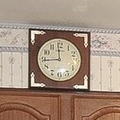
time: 11:44
